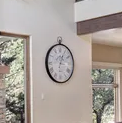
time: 3:04
